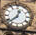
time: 12:37
